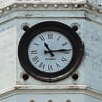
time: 11:13
